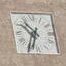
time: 10:34
